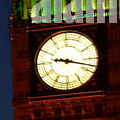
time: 9:17
